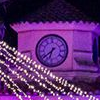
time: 6:38
